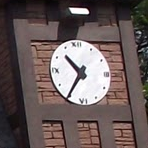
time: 10:35
